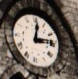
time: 12:13
